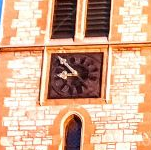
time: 8:52
